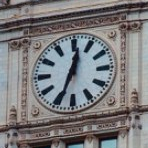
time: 12:33
